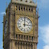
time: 3:00
